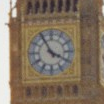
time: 3:55
